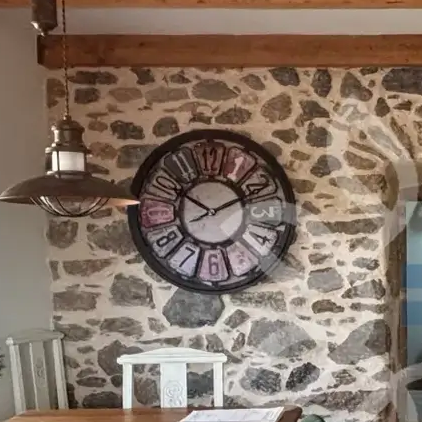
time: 10:11
